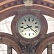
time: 8:21
